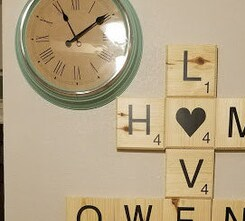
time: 11:09
